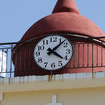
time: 4:07
